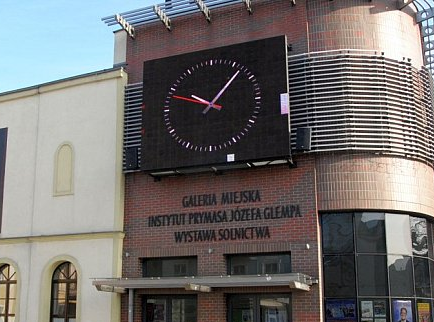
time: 10:07
